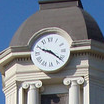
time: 9:21
